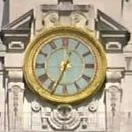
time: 12:33
